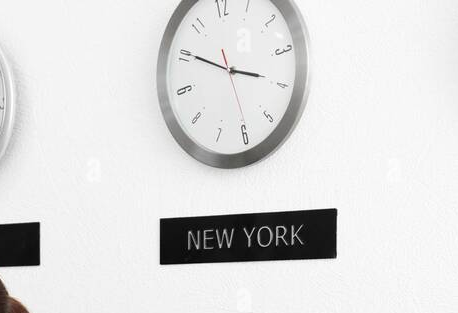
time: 3:50
